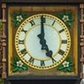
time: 4:59
